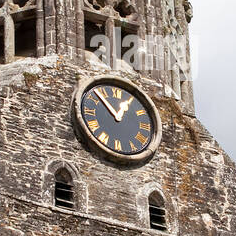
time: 12:52
